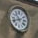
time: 10:41
